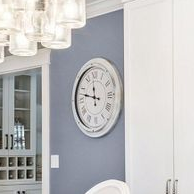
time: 11:47
